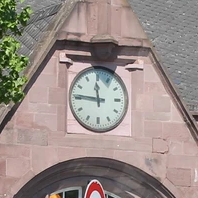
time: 11:46
